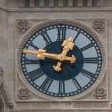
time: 12:47
